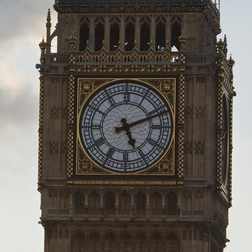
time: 5:11
